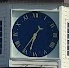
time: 6:36
